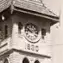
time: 9:12
